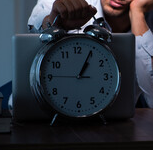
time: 1:04
